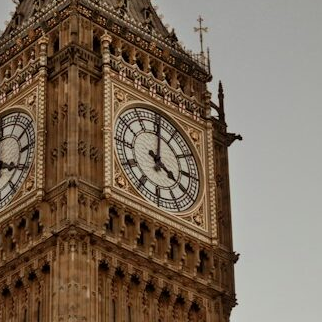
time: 4:00
